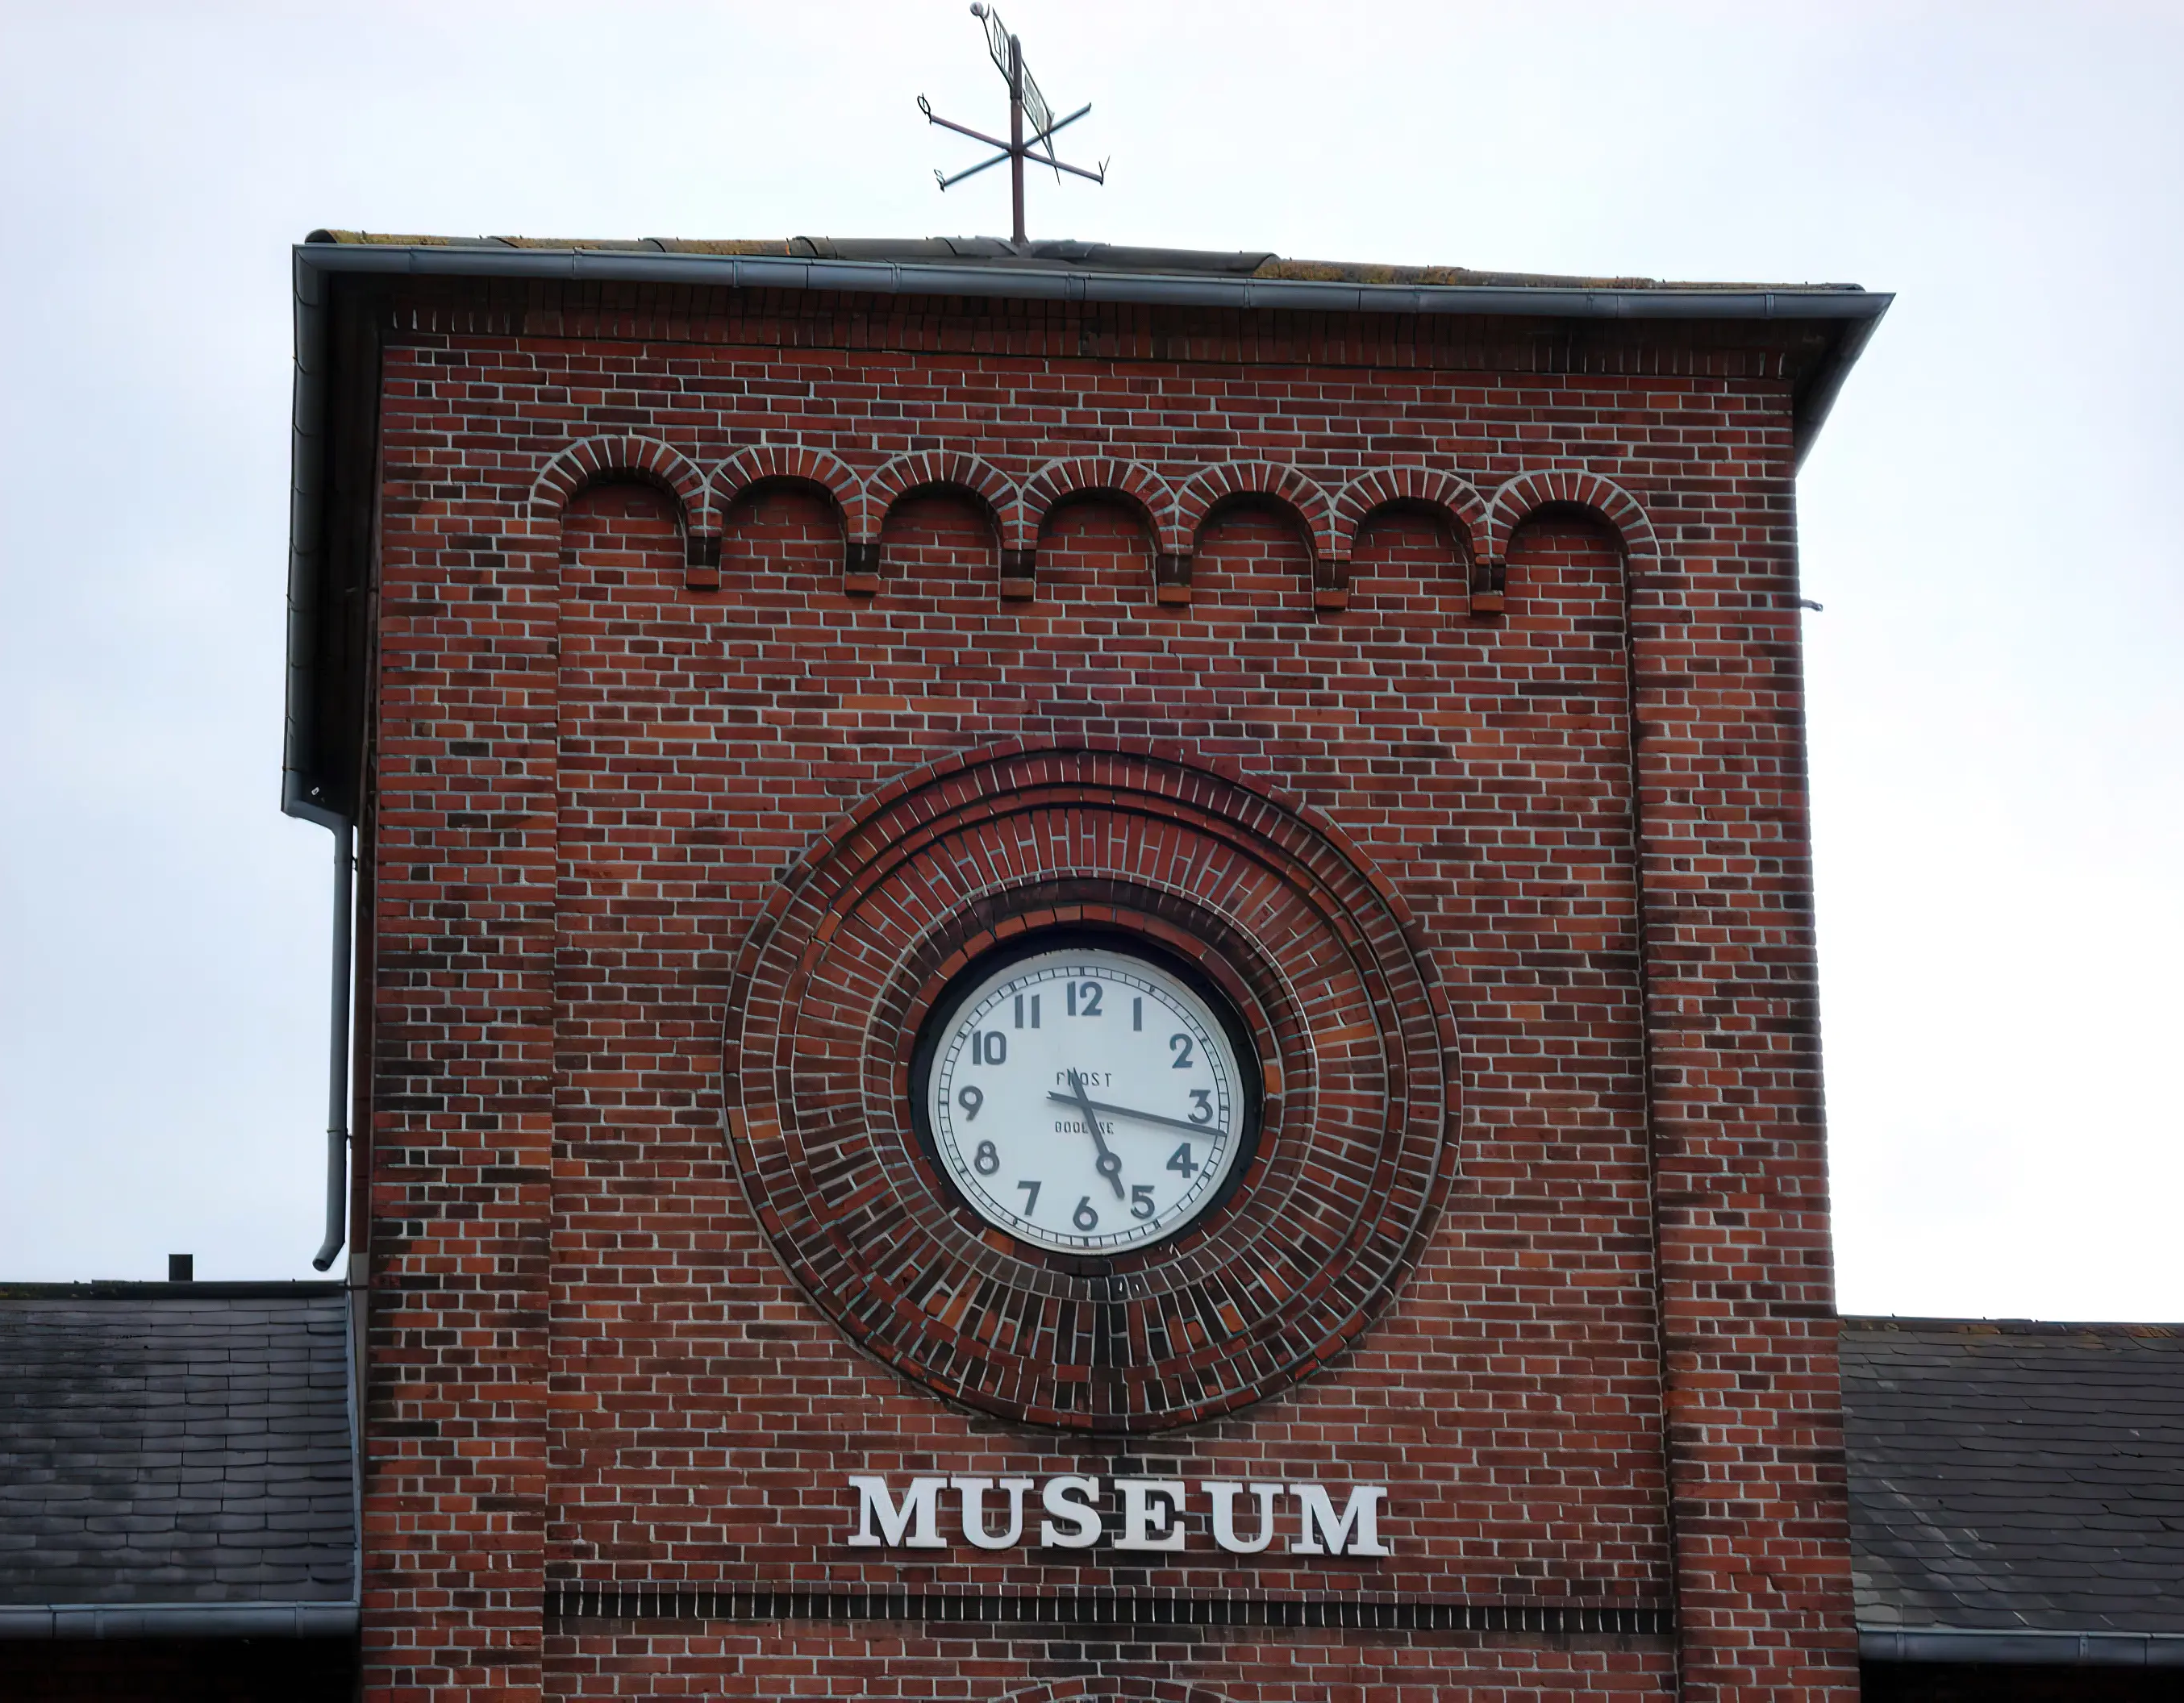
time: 5:16
